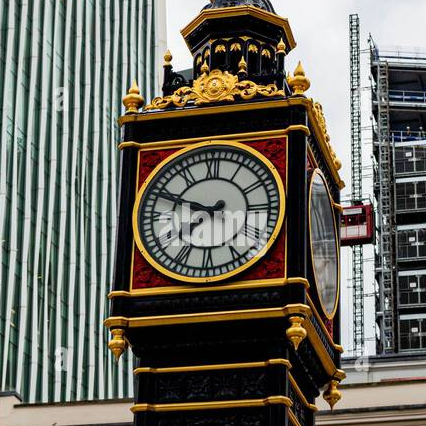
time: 7:48
